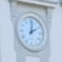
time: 2:01
